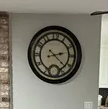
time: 2:22
